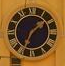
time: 1:34
